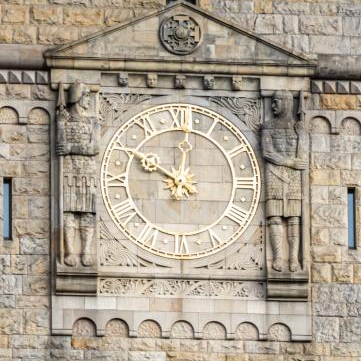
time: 10:01
